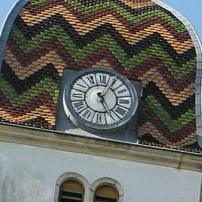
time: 5:04
